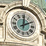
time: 2:00
